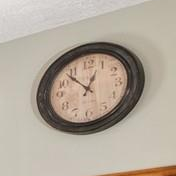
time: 12:53
